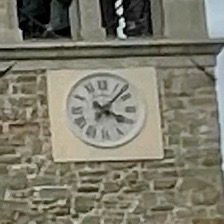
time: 4:07
